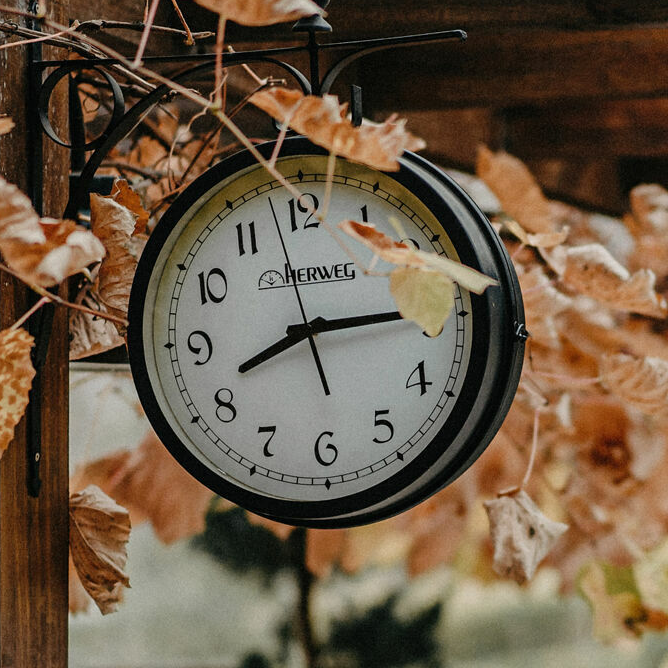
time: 8:14
